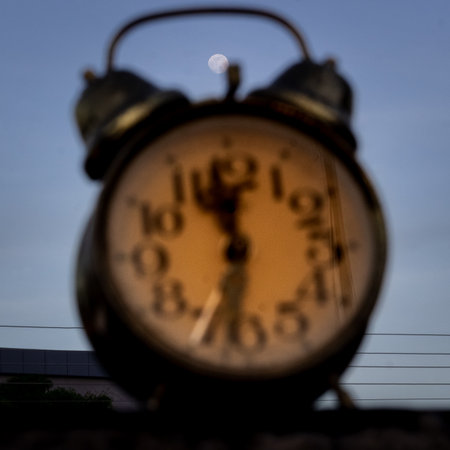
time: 11:32
